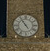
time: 4:54
